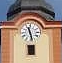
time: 11:28
